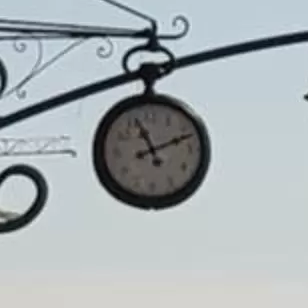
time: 11:11
